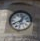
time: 12:40
